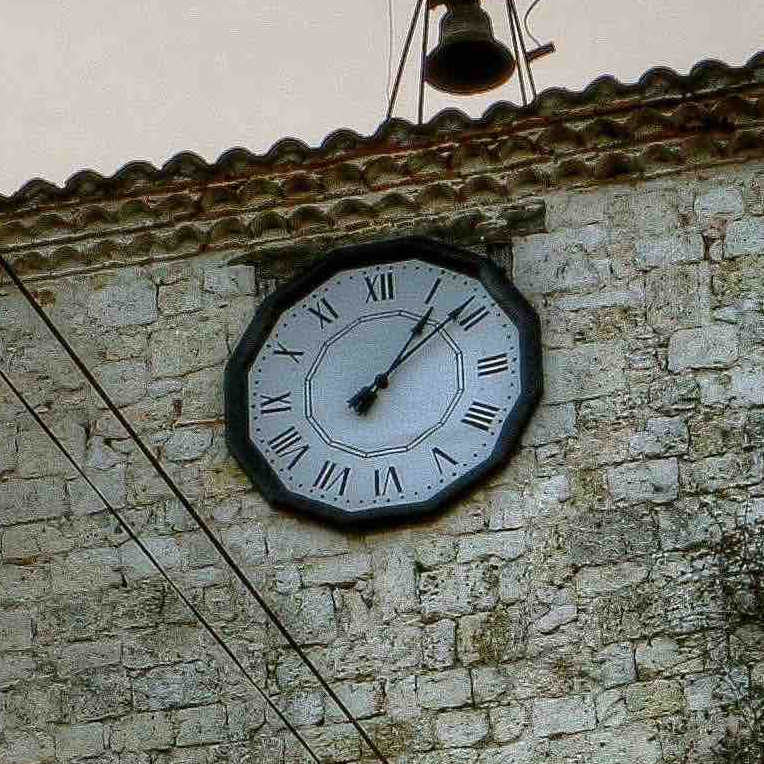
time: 1:08
